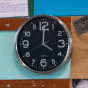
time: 4:00
